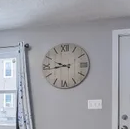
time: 9:43
